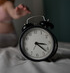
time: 3:22
